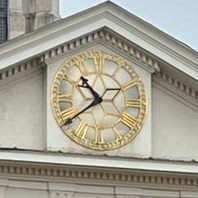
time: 10:39
